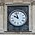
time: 9:57
